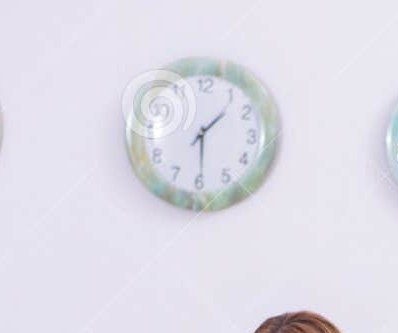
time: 1:29
